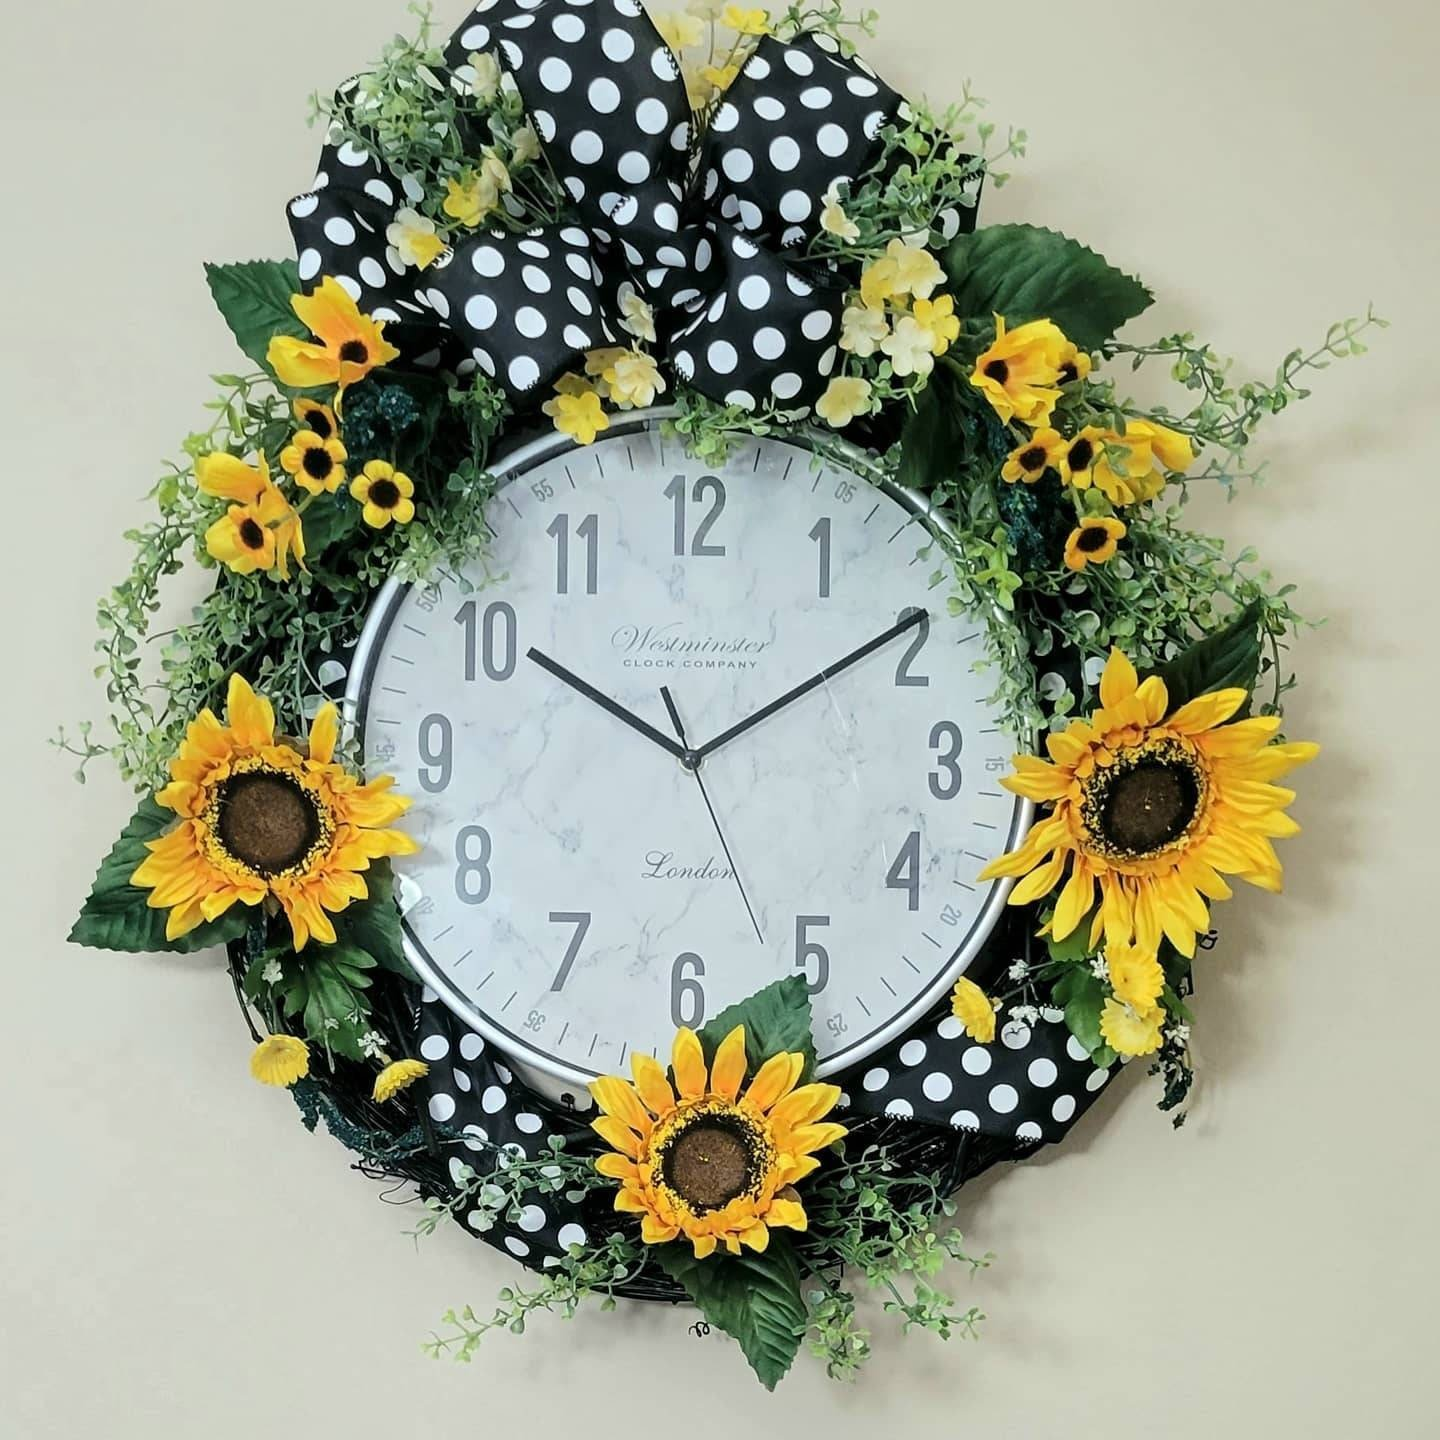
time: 10:09
